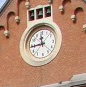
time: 11:44
